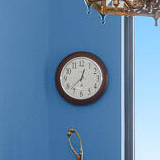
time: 12:37
